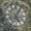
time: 5:05
